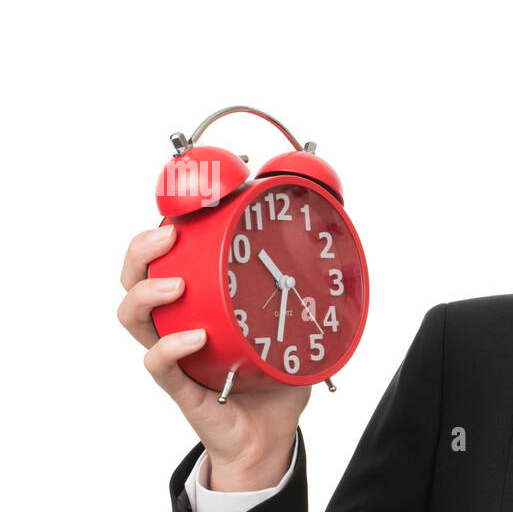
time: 10:32
